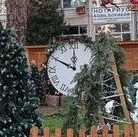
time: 11:49
